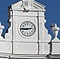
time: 2:45
